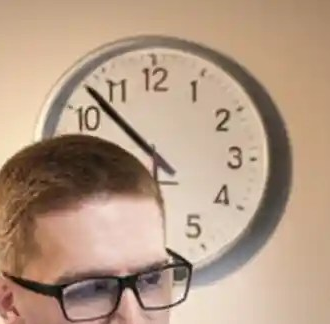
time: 9:52
